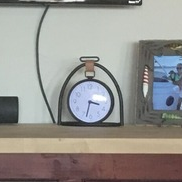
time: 3:32
